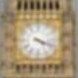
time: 4:18
